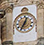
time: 12:34
